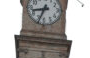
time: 8:33
